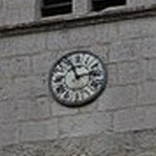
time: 11:13
